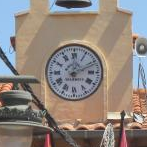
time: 12:11
